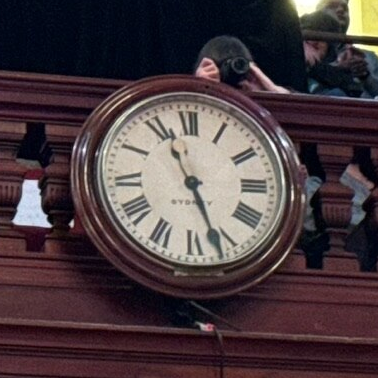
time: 11:26
